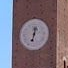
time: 12:32
